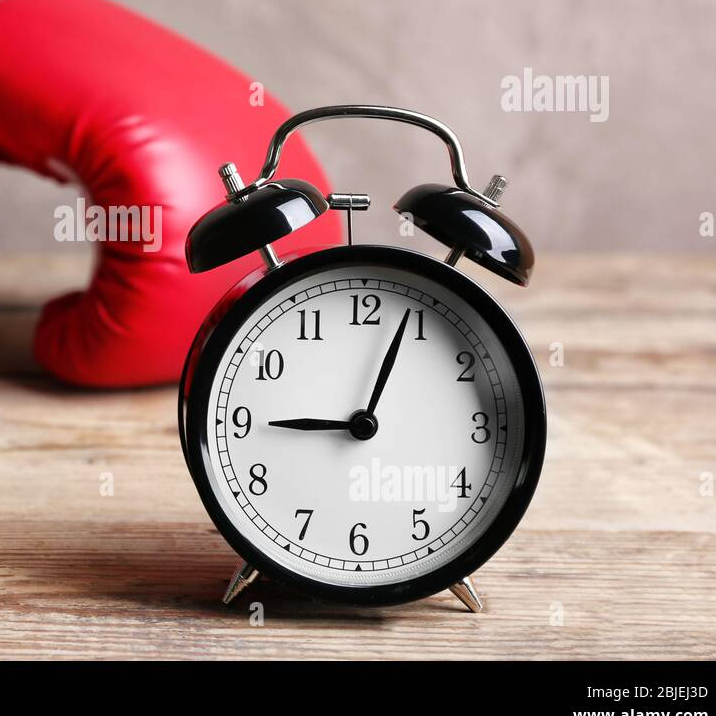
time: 9:03
